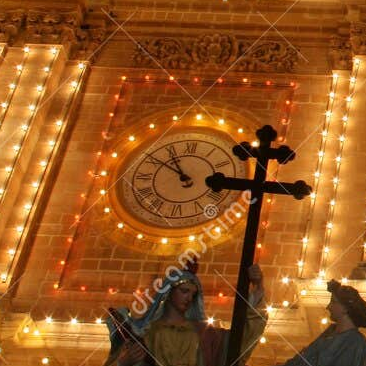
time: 10:50
